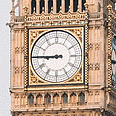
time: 8:45
